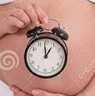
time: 12:58
